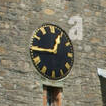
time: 12:45
